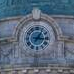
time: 1:16
